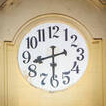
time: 8:30
